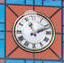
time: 11:11
